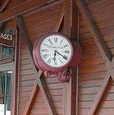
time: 6:20
